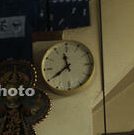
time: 11:39
